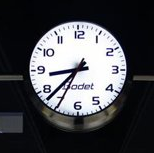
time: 8:37
